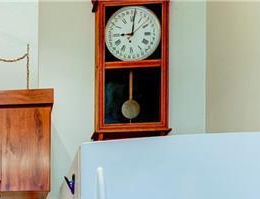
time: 9:01
